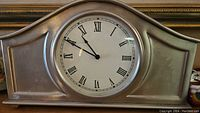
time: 10:49
